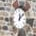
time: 12:07
